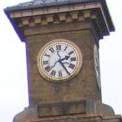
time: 2:24
